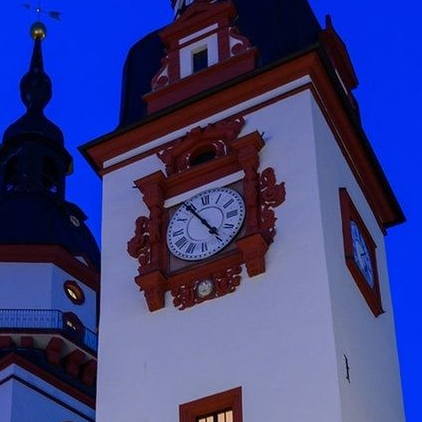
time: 4:53
